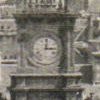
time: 3:01
